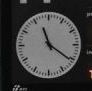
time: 11:20
